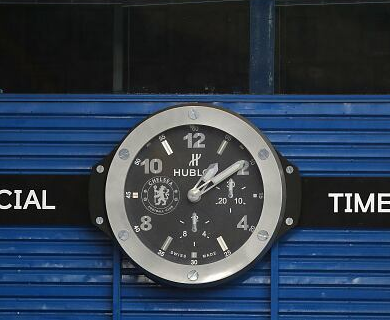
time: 1:09
